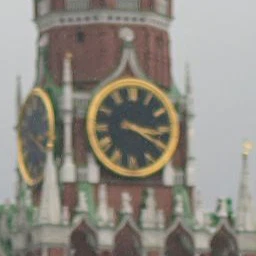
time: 3:20
